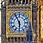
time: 5:55
